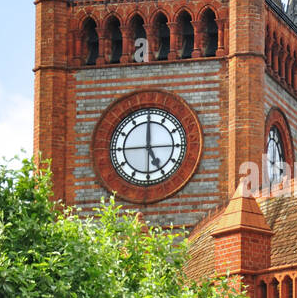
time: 4:59
